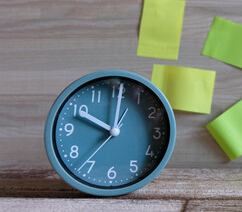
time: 10:00
